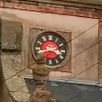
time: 3:42
